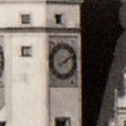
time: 8:09
